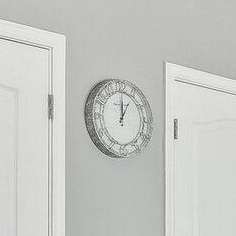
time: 1:00
